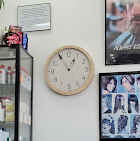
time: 12:54
